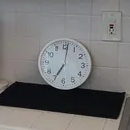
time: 7:01
